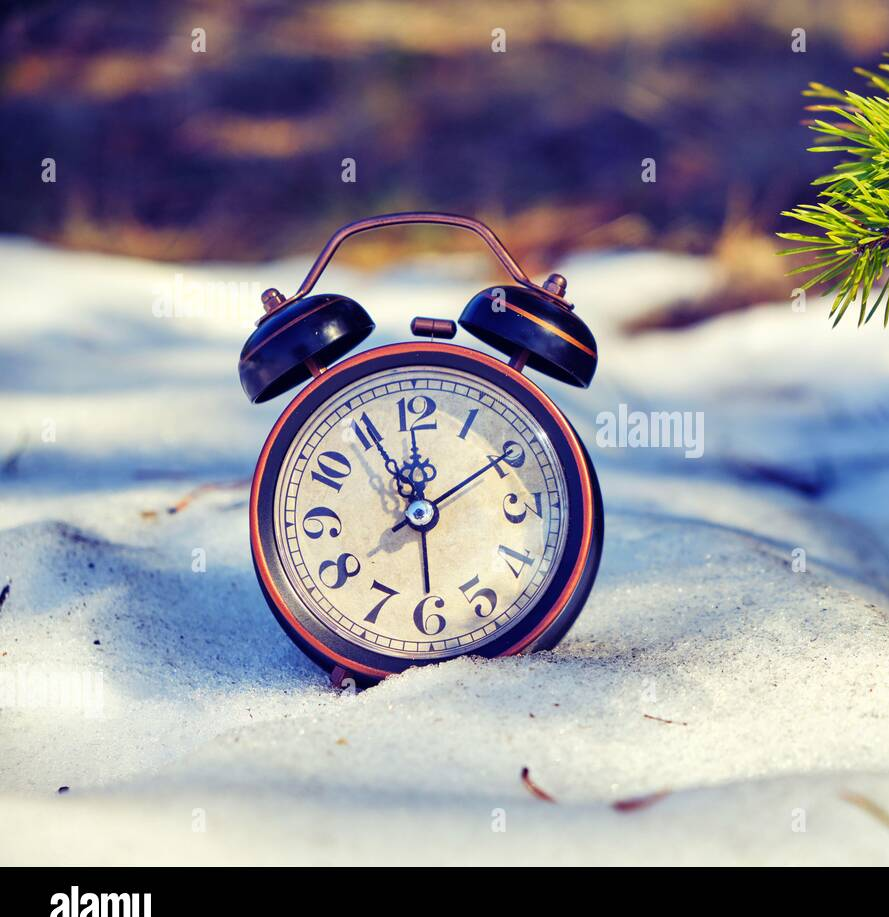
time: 11:55
